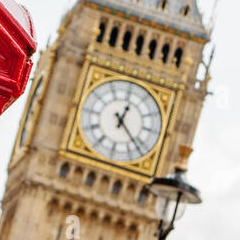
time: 12:21
